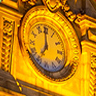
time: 6:59
